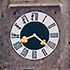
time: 8:21
